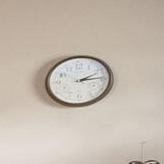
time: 2:14
